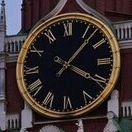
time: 4:07
